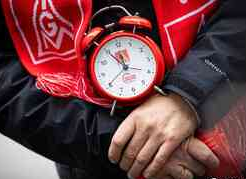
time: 11:55
